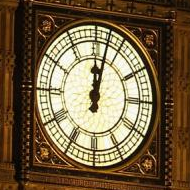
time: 12:02
